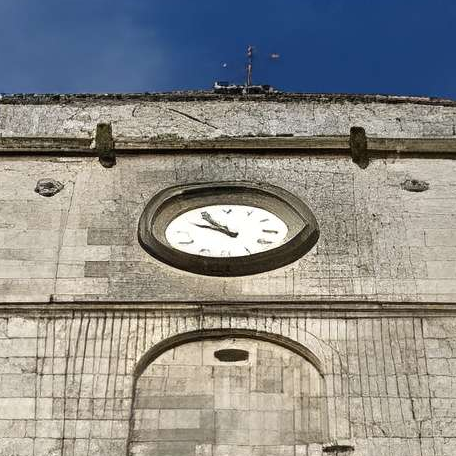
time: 9:54
